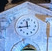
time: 11:43
